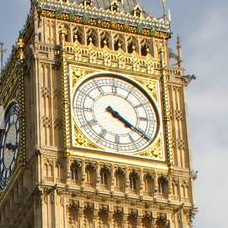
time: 4:20
